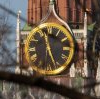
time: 11:26
